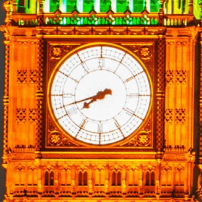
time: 7:42
